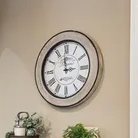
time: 2:58
